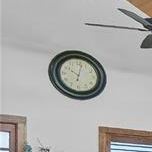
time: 10:02
